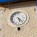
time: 5:22
